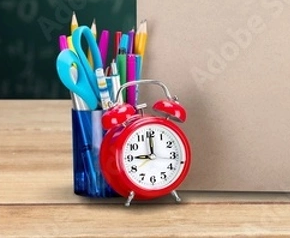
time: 9:00
